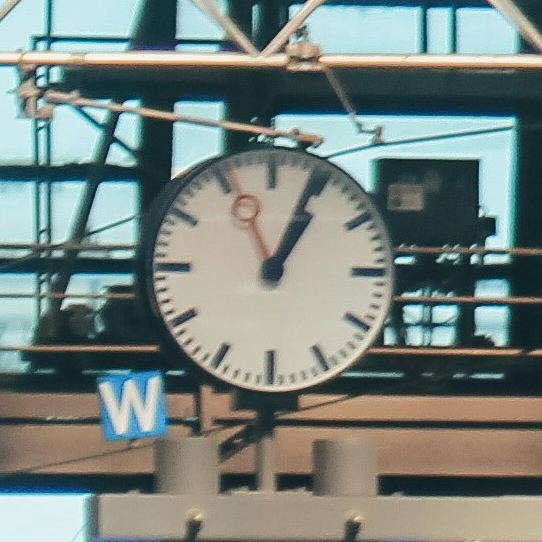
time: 1:04
